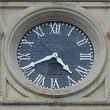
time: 4:40
